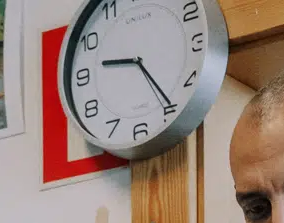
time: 9:24
